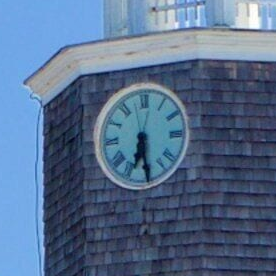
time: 6:28
